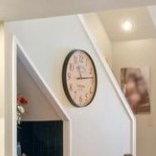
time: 11:13
